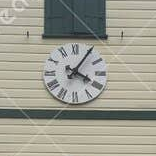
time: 4:05
